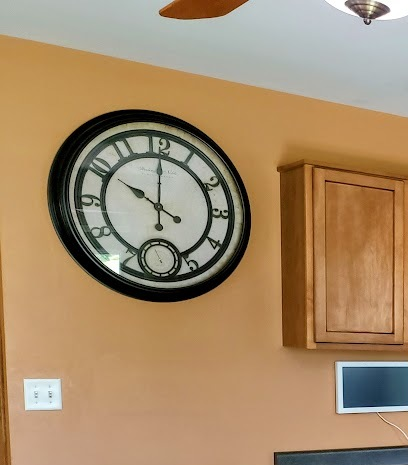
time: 10:00
